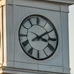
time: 3:09
